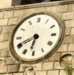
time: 6:41
